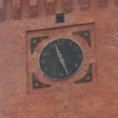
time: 11:26
